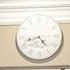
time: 4:42
